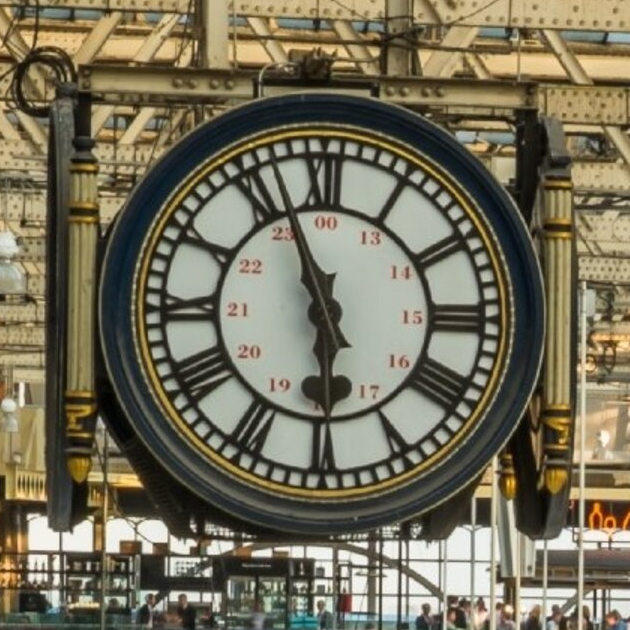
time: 5:56
